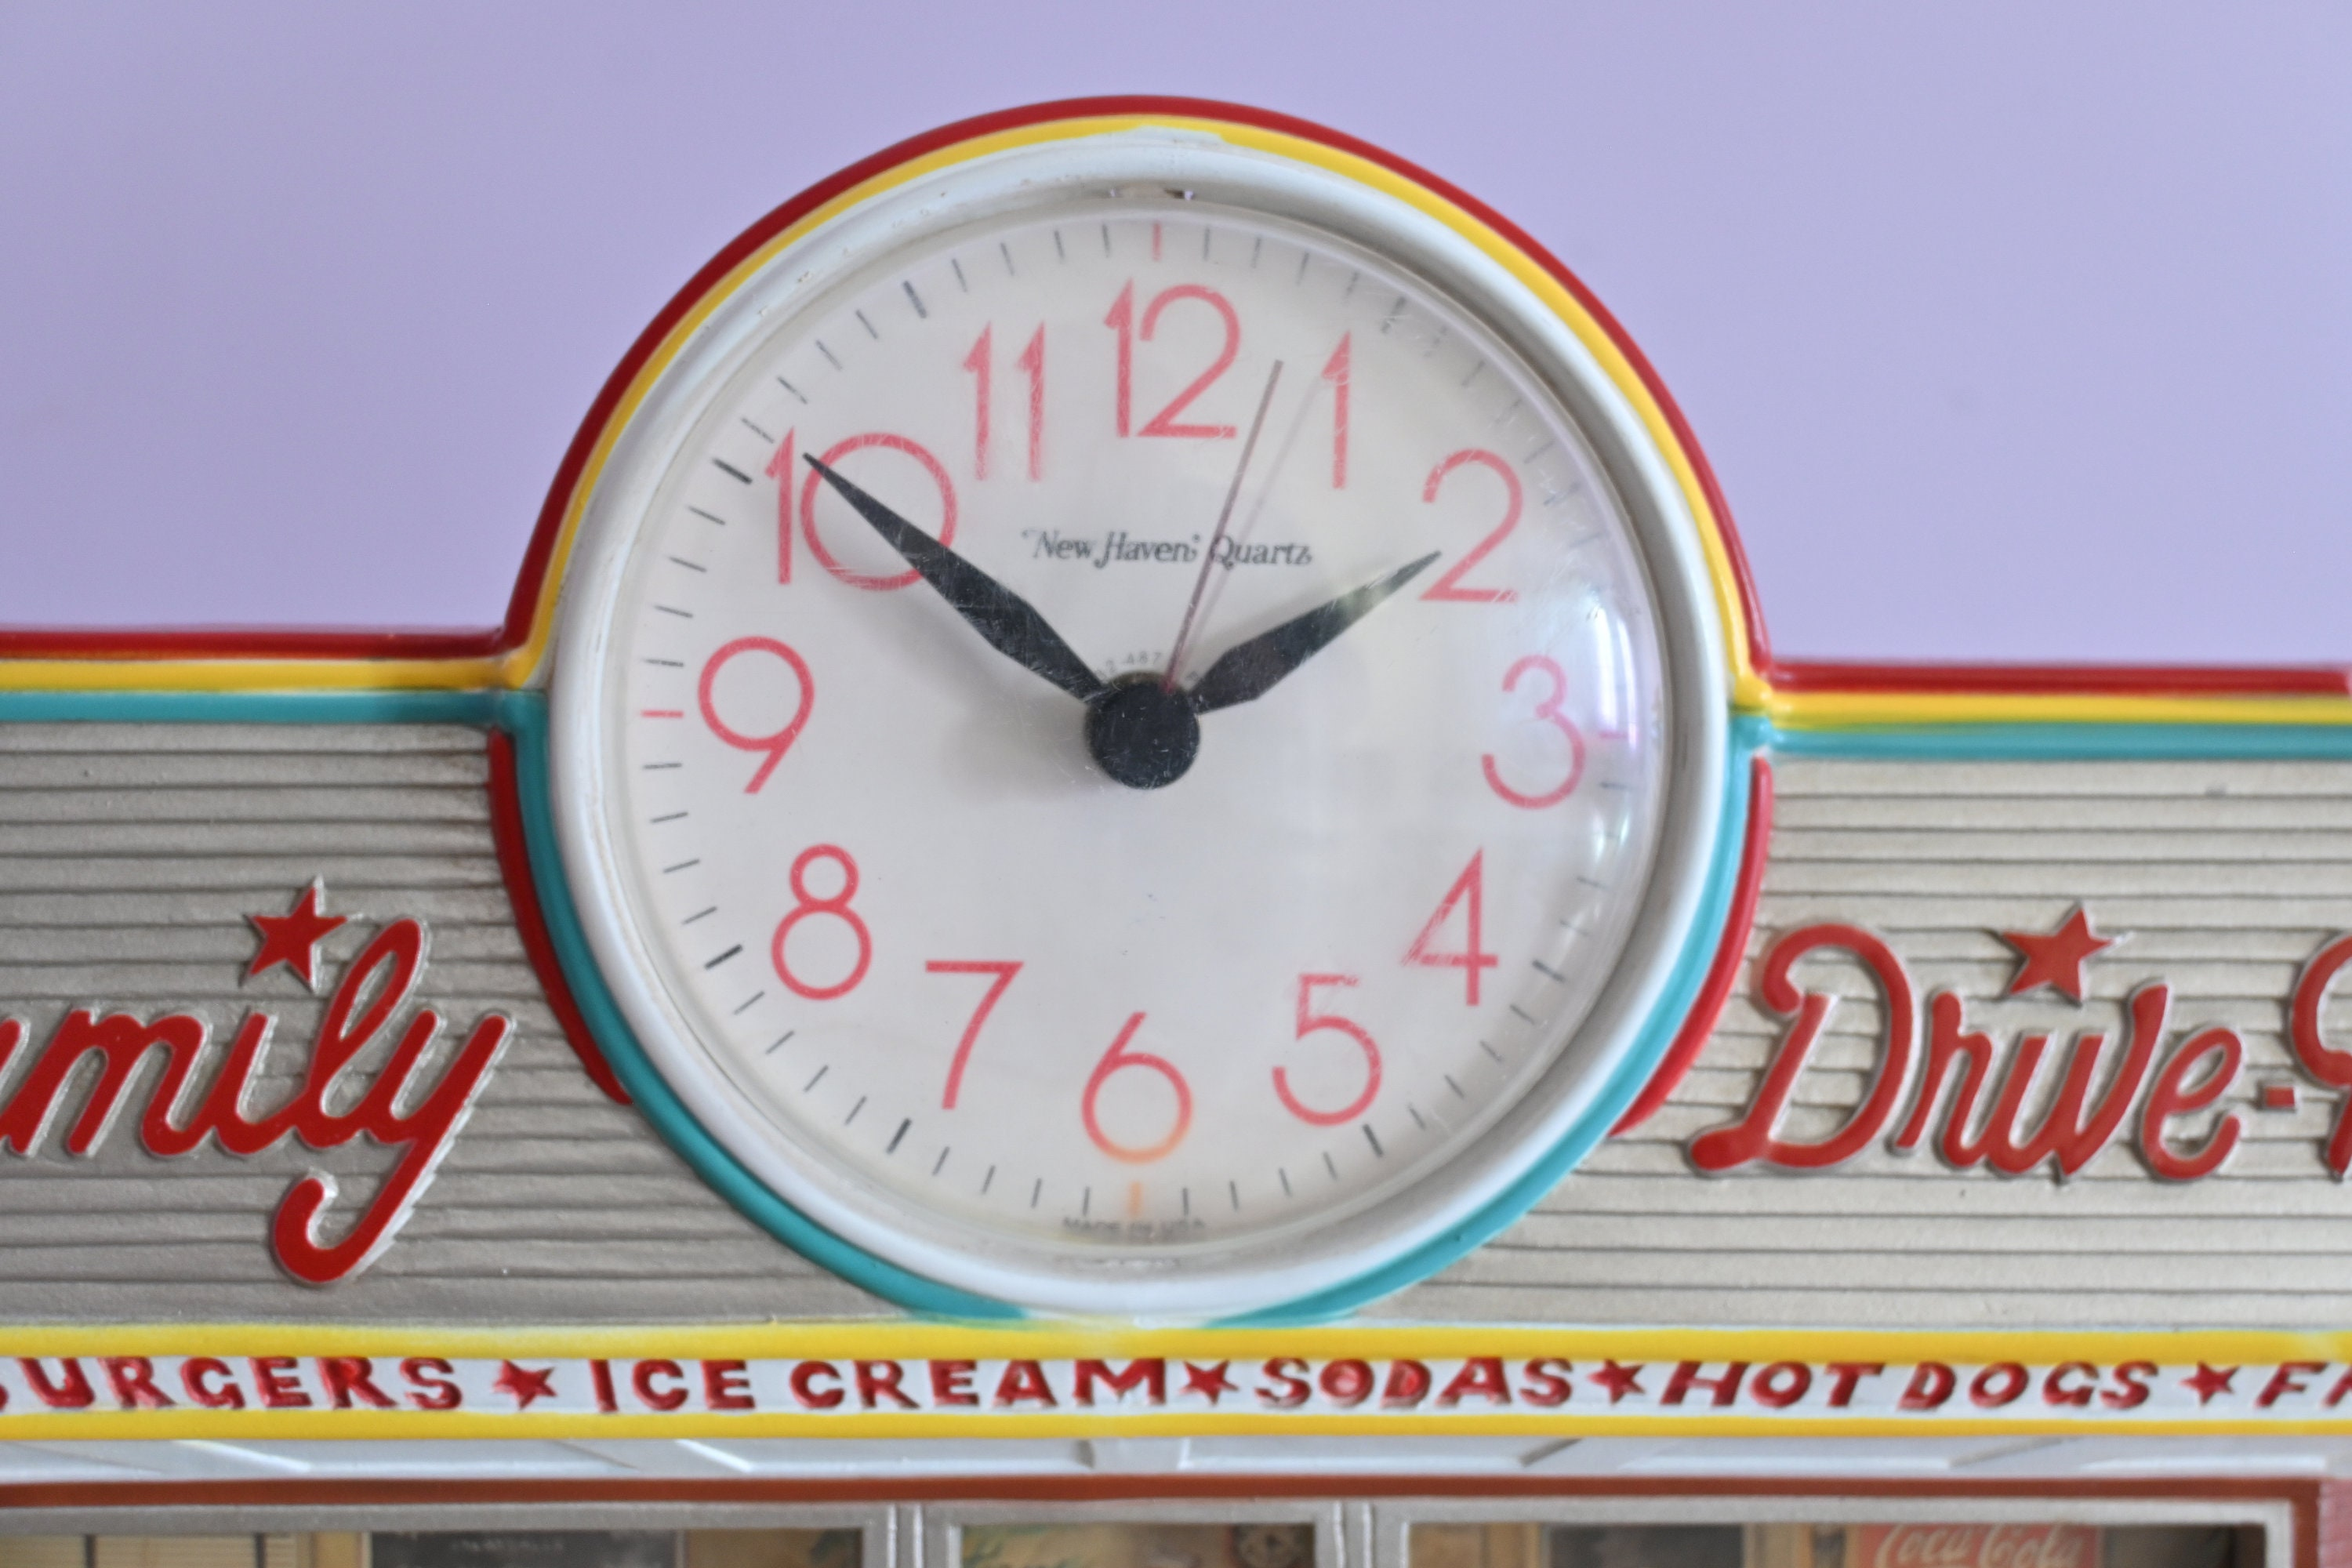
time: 1:50
